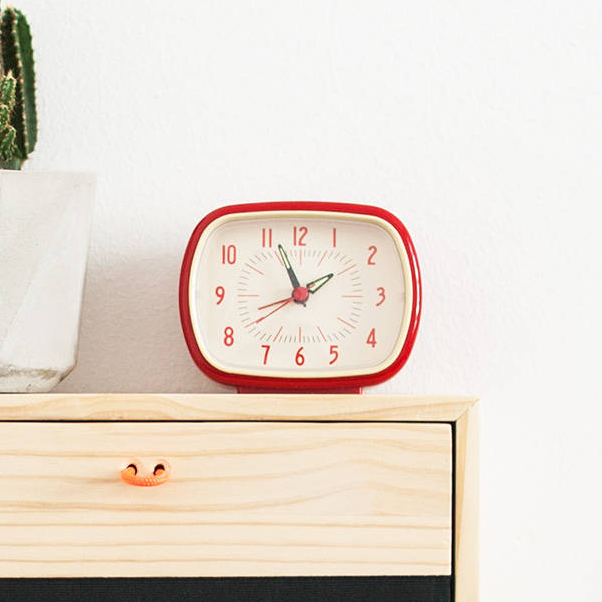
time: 1:56
